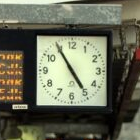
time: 4:54
